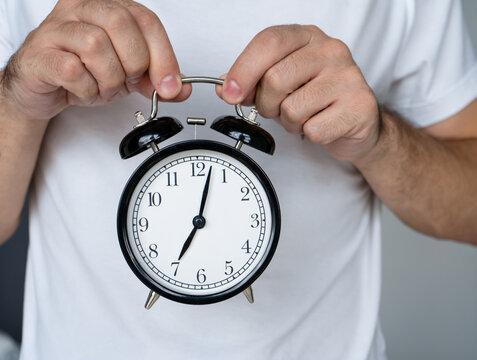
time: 7:02
